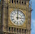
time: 3:00
